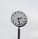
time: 2:28
